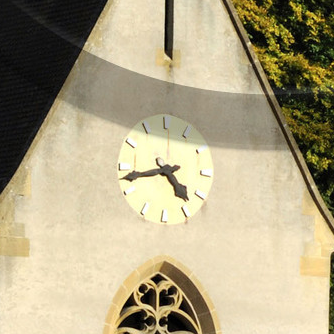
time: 4:42
